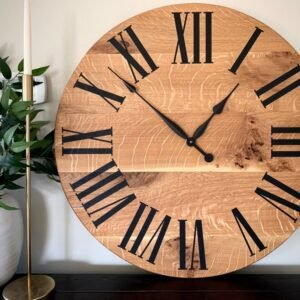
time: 12:52
